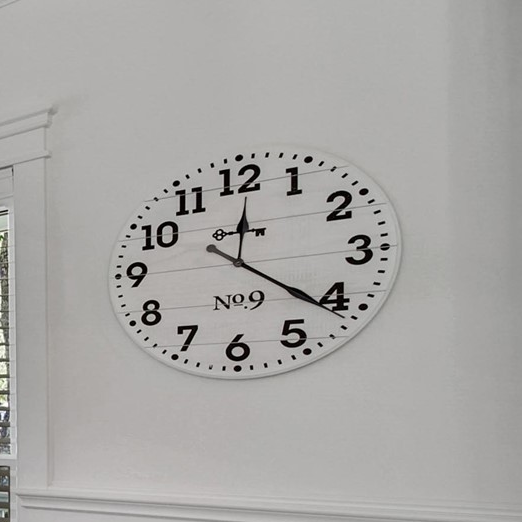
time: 12:21
